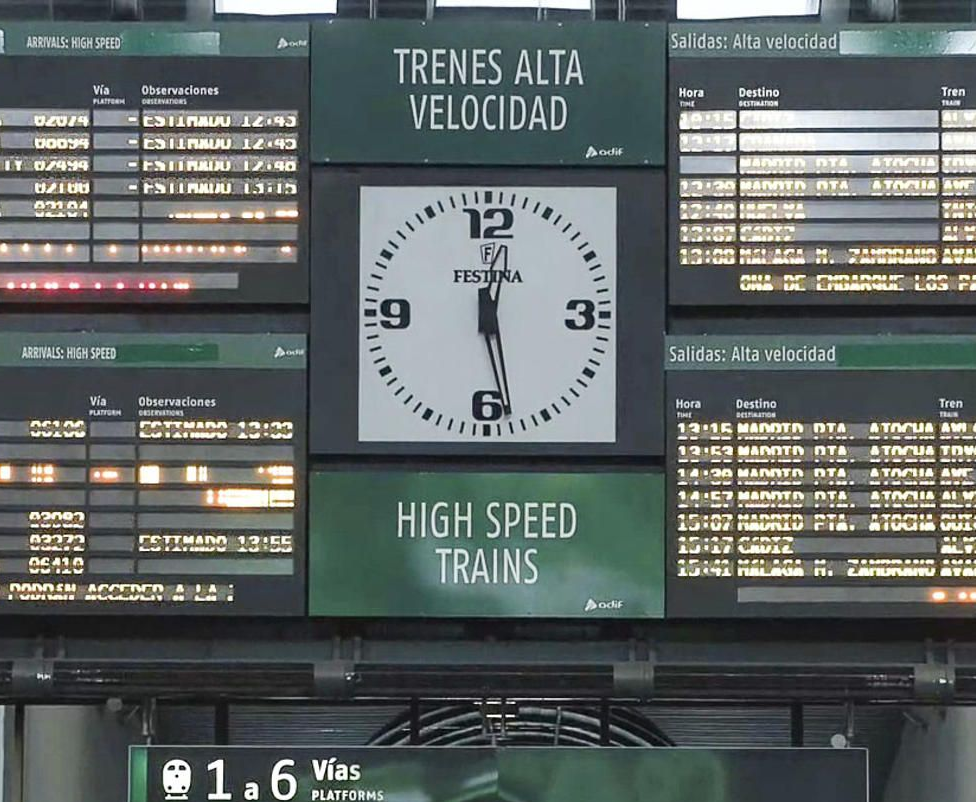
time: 12:28
